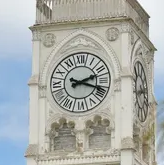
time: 2:18
